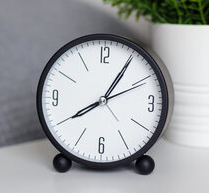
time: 8:05
